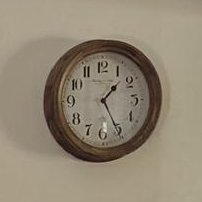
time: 1:25
